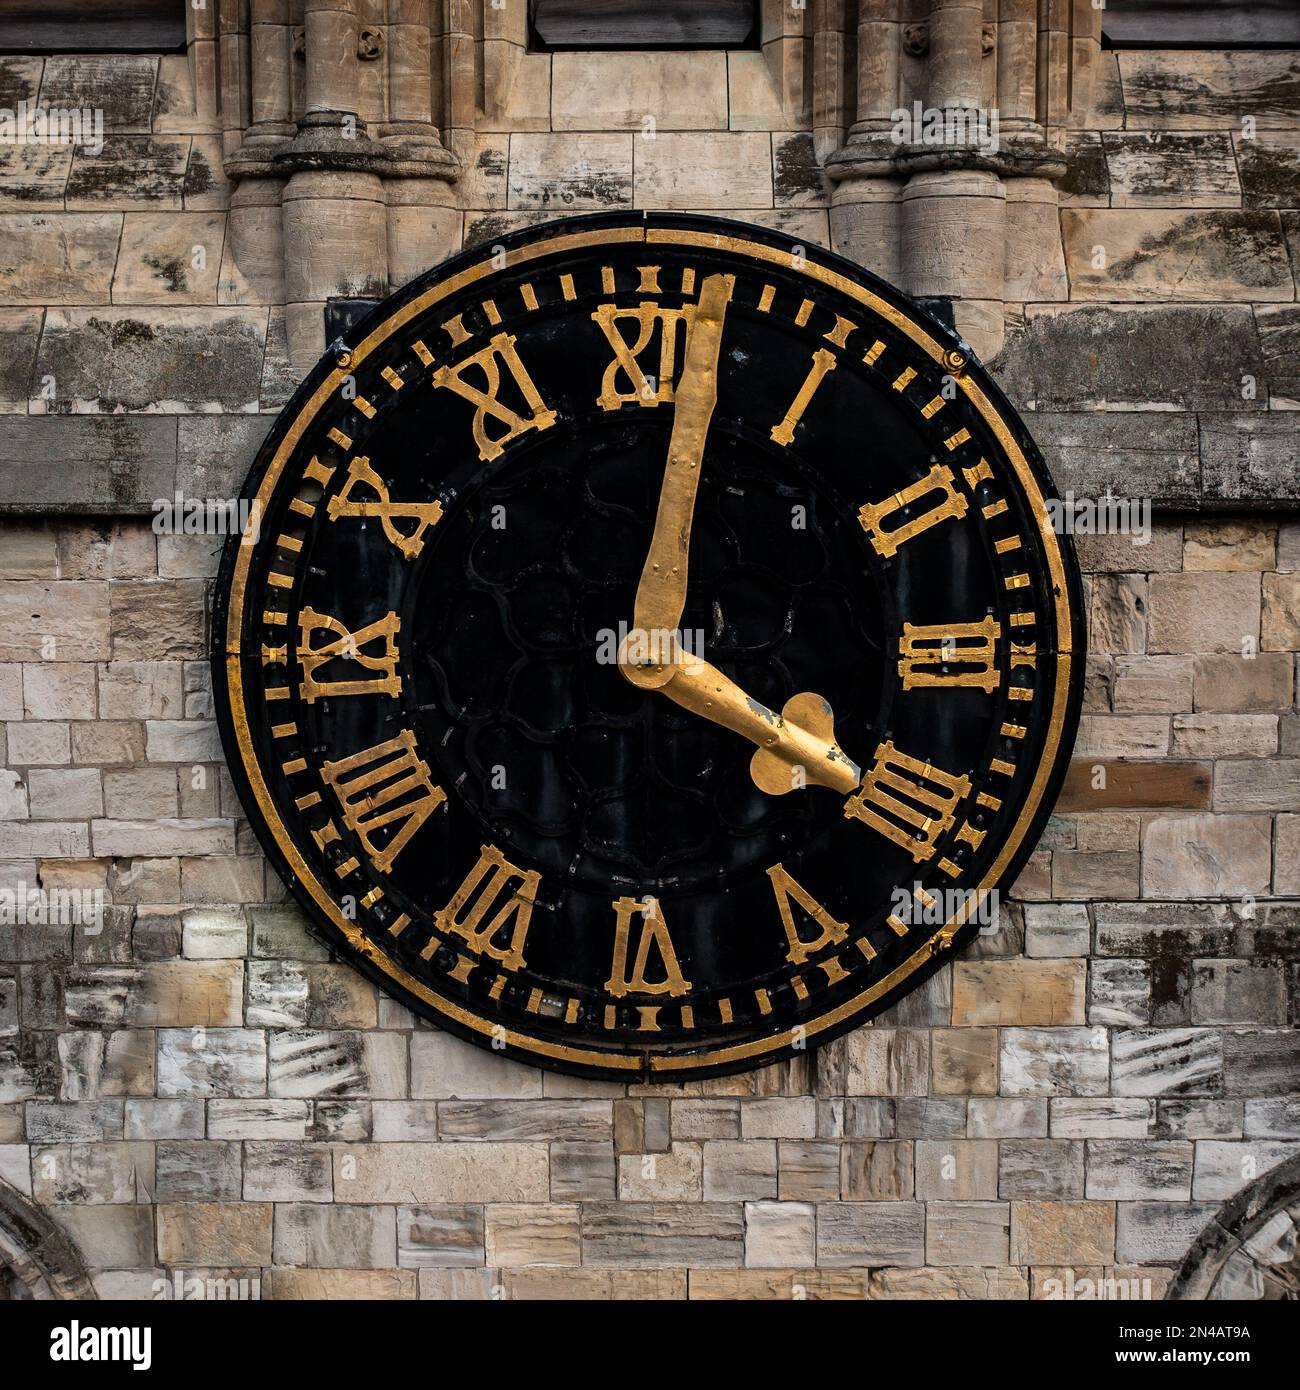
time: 4:01
